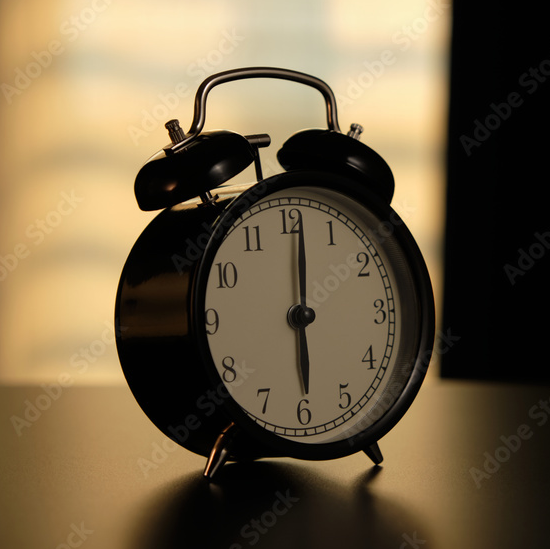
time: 6:01
